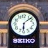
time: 6:08
